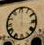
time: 12:16
